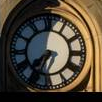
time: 7:34
